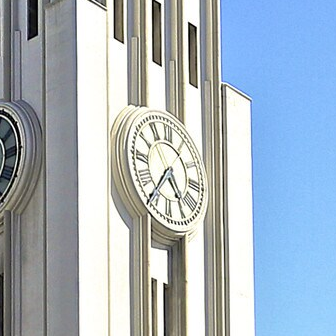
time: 4:35
